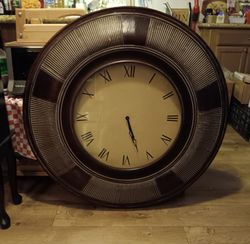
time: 5:26
